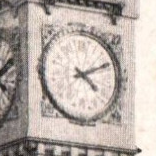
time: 4:10
